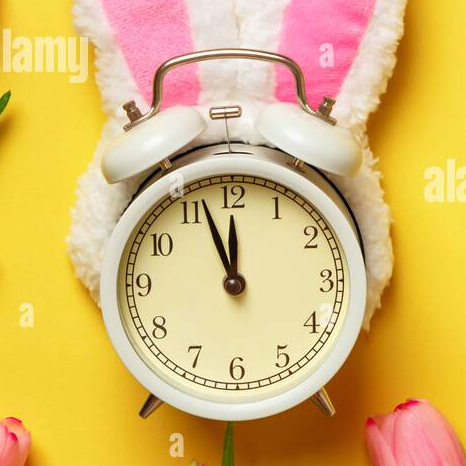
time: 11:56
